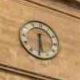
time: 5:30
